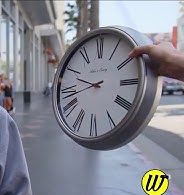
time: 9:42
